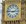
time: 2:46
